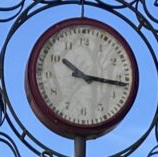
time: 10:16
